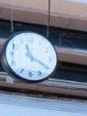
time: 11:19
